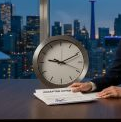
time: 9:11
